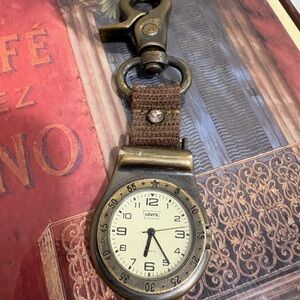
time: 6:24
